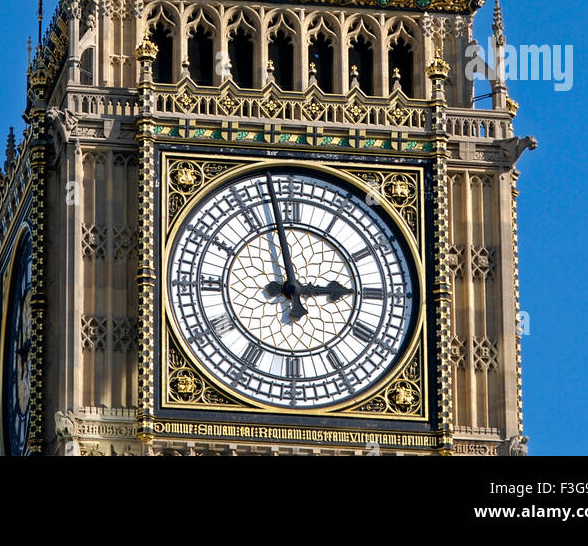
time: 2:57
